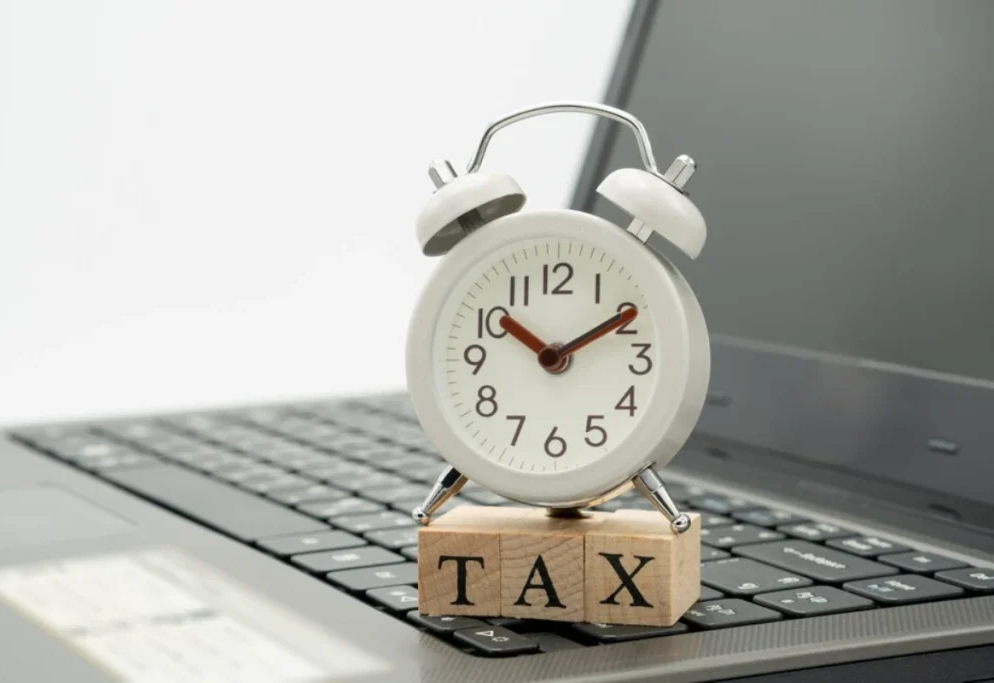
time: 10:10
